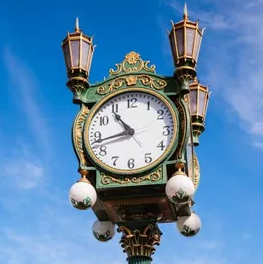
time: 10:43
